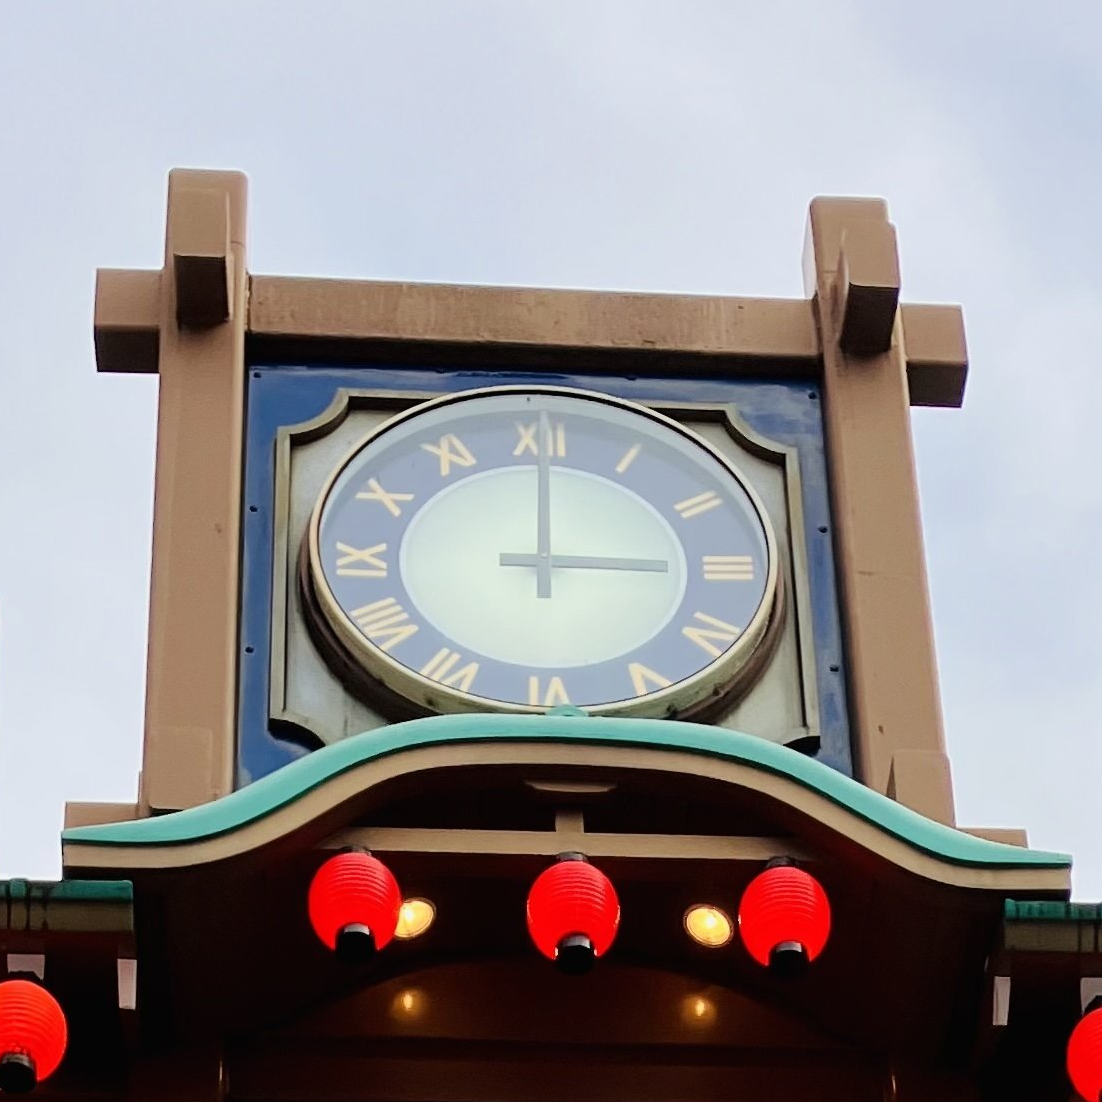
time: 3:00
